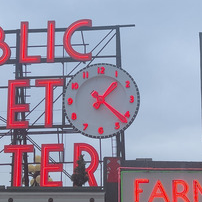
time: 1:21
